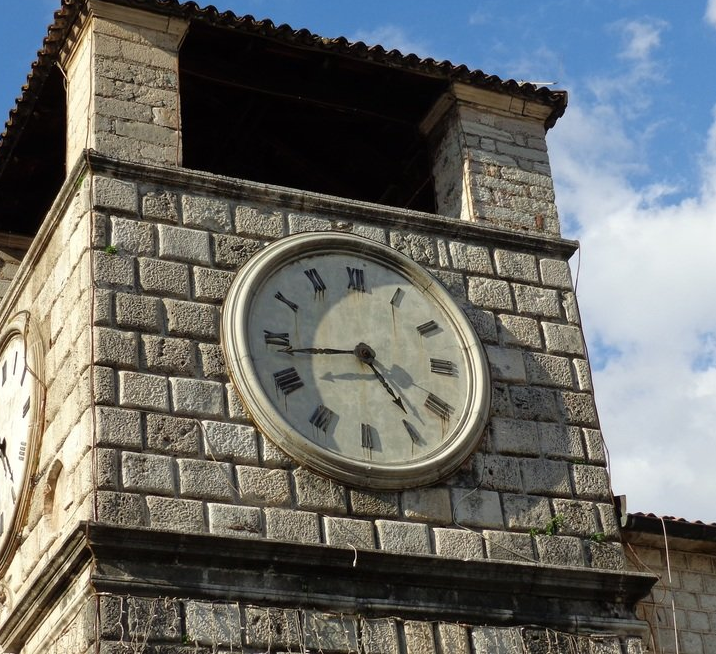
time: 4:43
